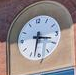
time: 3:32
